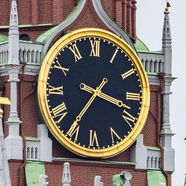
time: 3:35
